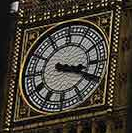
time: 3:18
